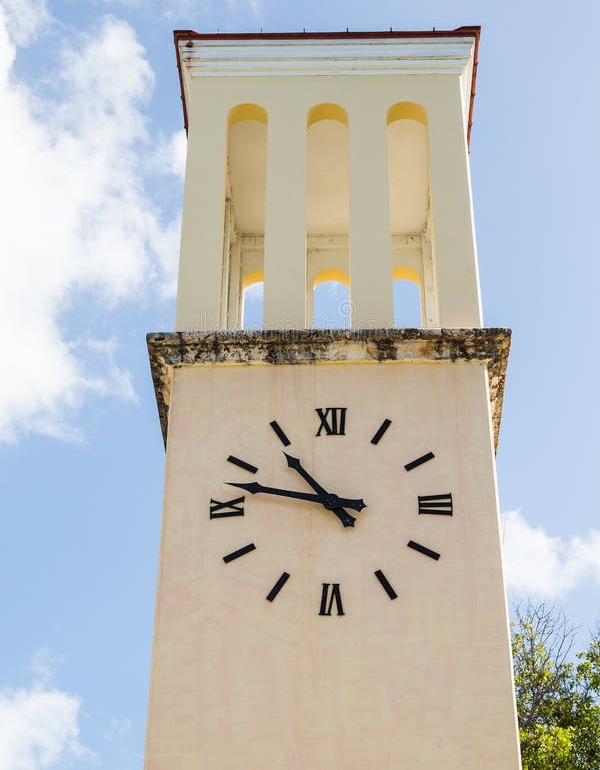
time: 10:47
